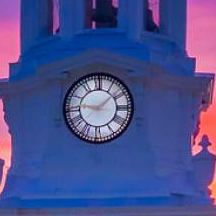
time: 9:08
